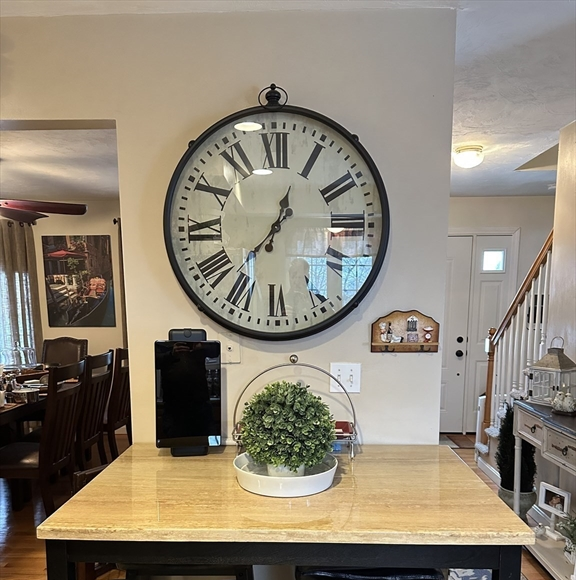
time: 12:37
